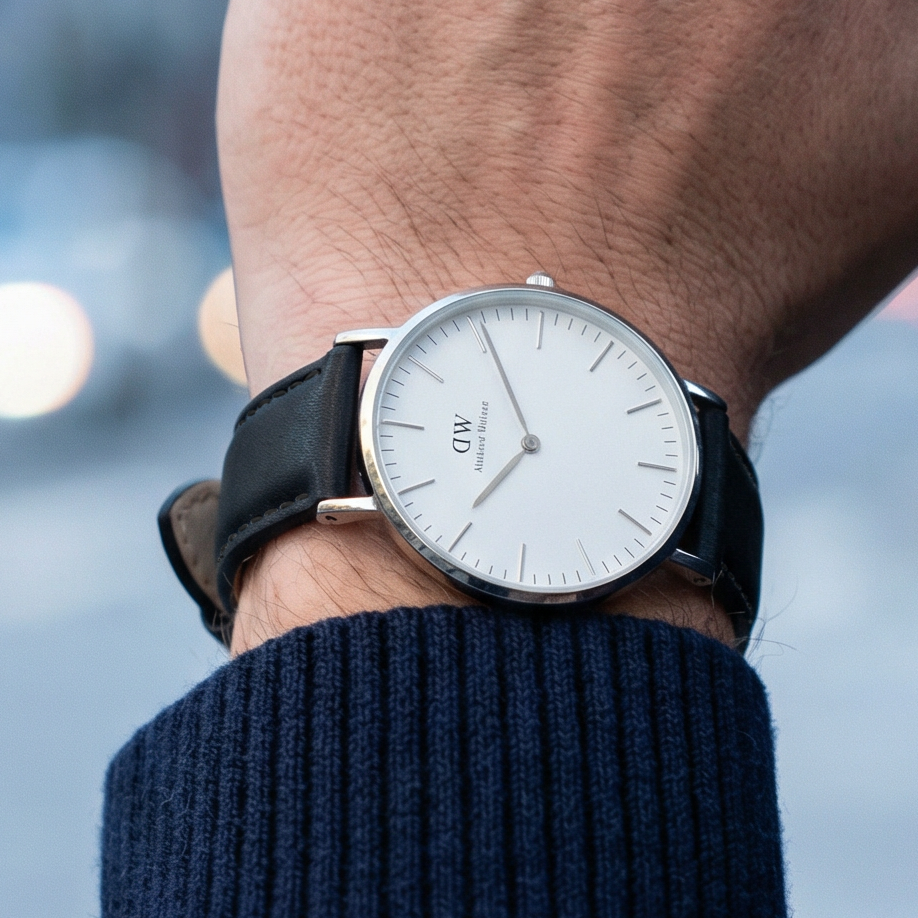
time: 6:55
